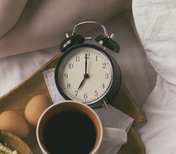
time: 7:00
